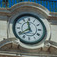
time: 11:39
